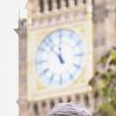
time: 11:53
